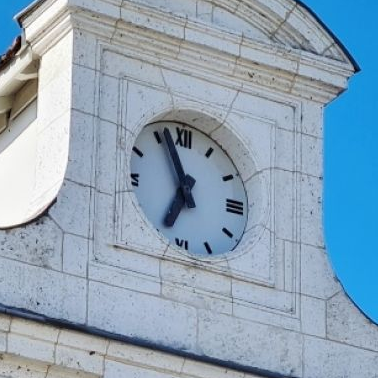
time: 6:56
